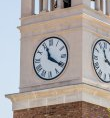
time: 11:20
